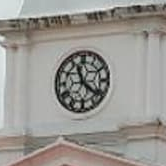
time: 11:21
